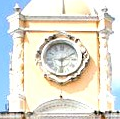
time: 6:10
